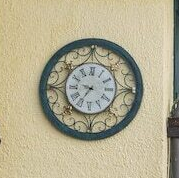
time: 9:36
